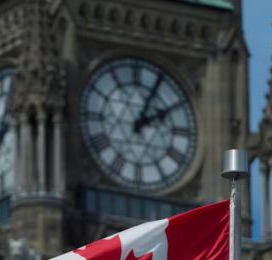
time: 2:04
